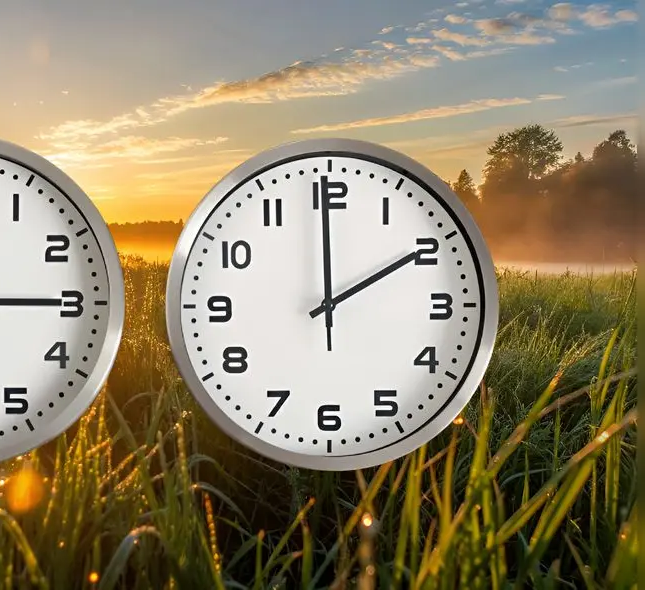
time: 1:59
